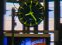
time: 8:24
